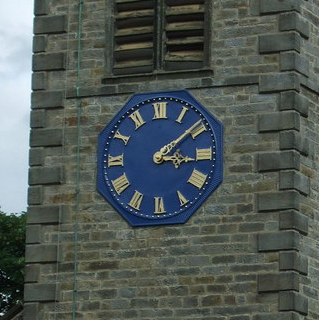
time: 3:08
